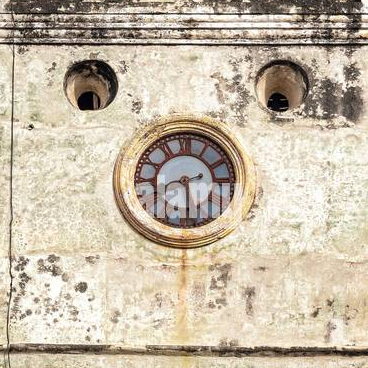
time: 2:29
